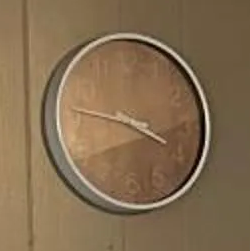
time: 3:46
